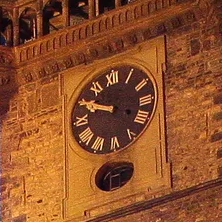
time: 9:50
